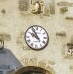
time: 9:54
